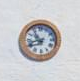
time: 10:42
